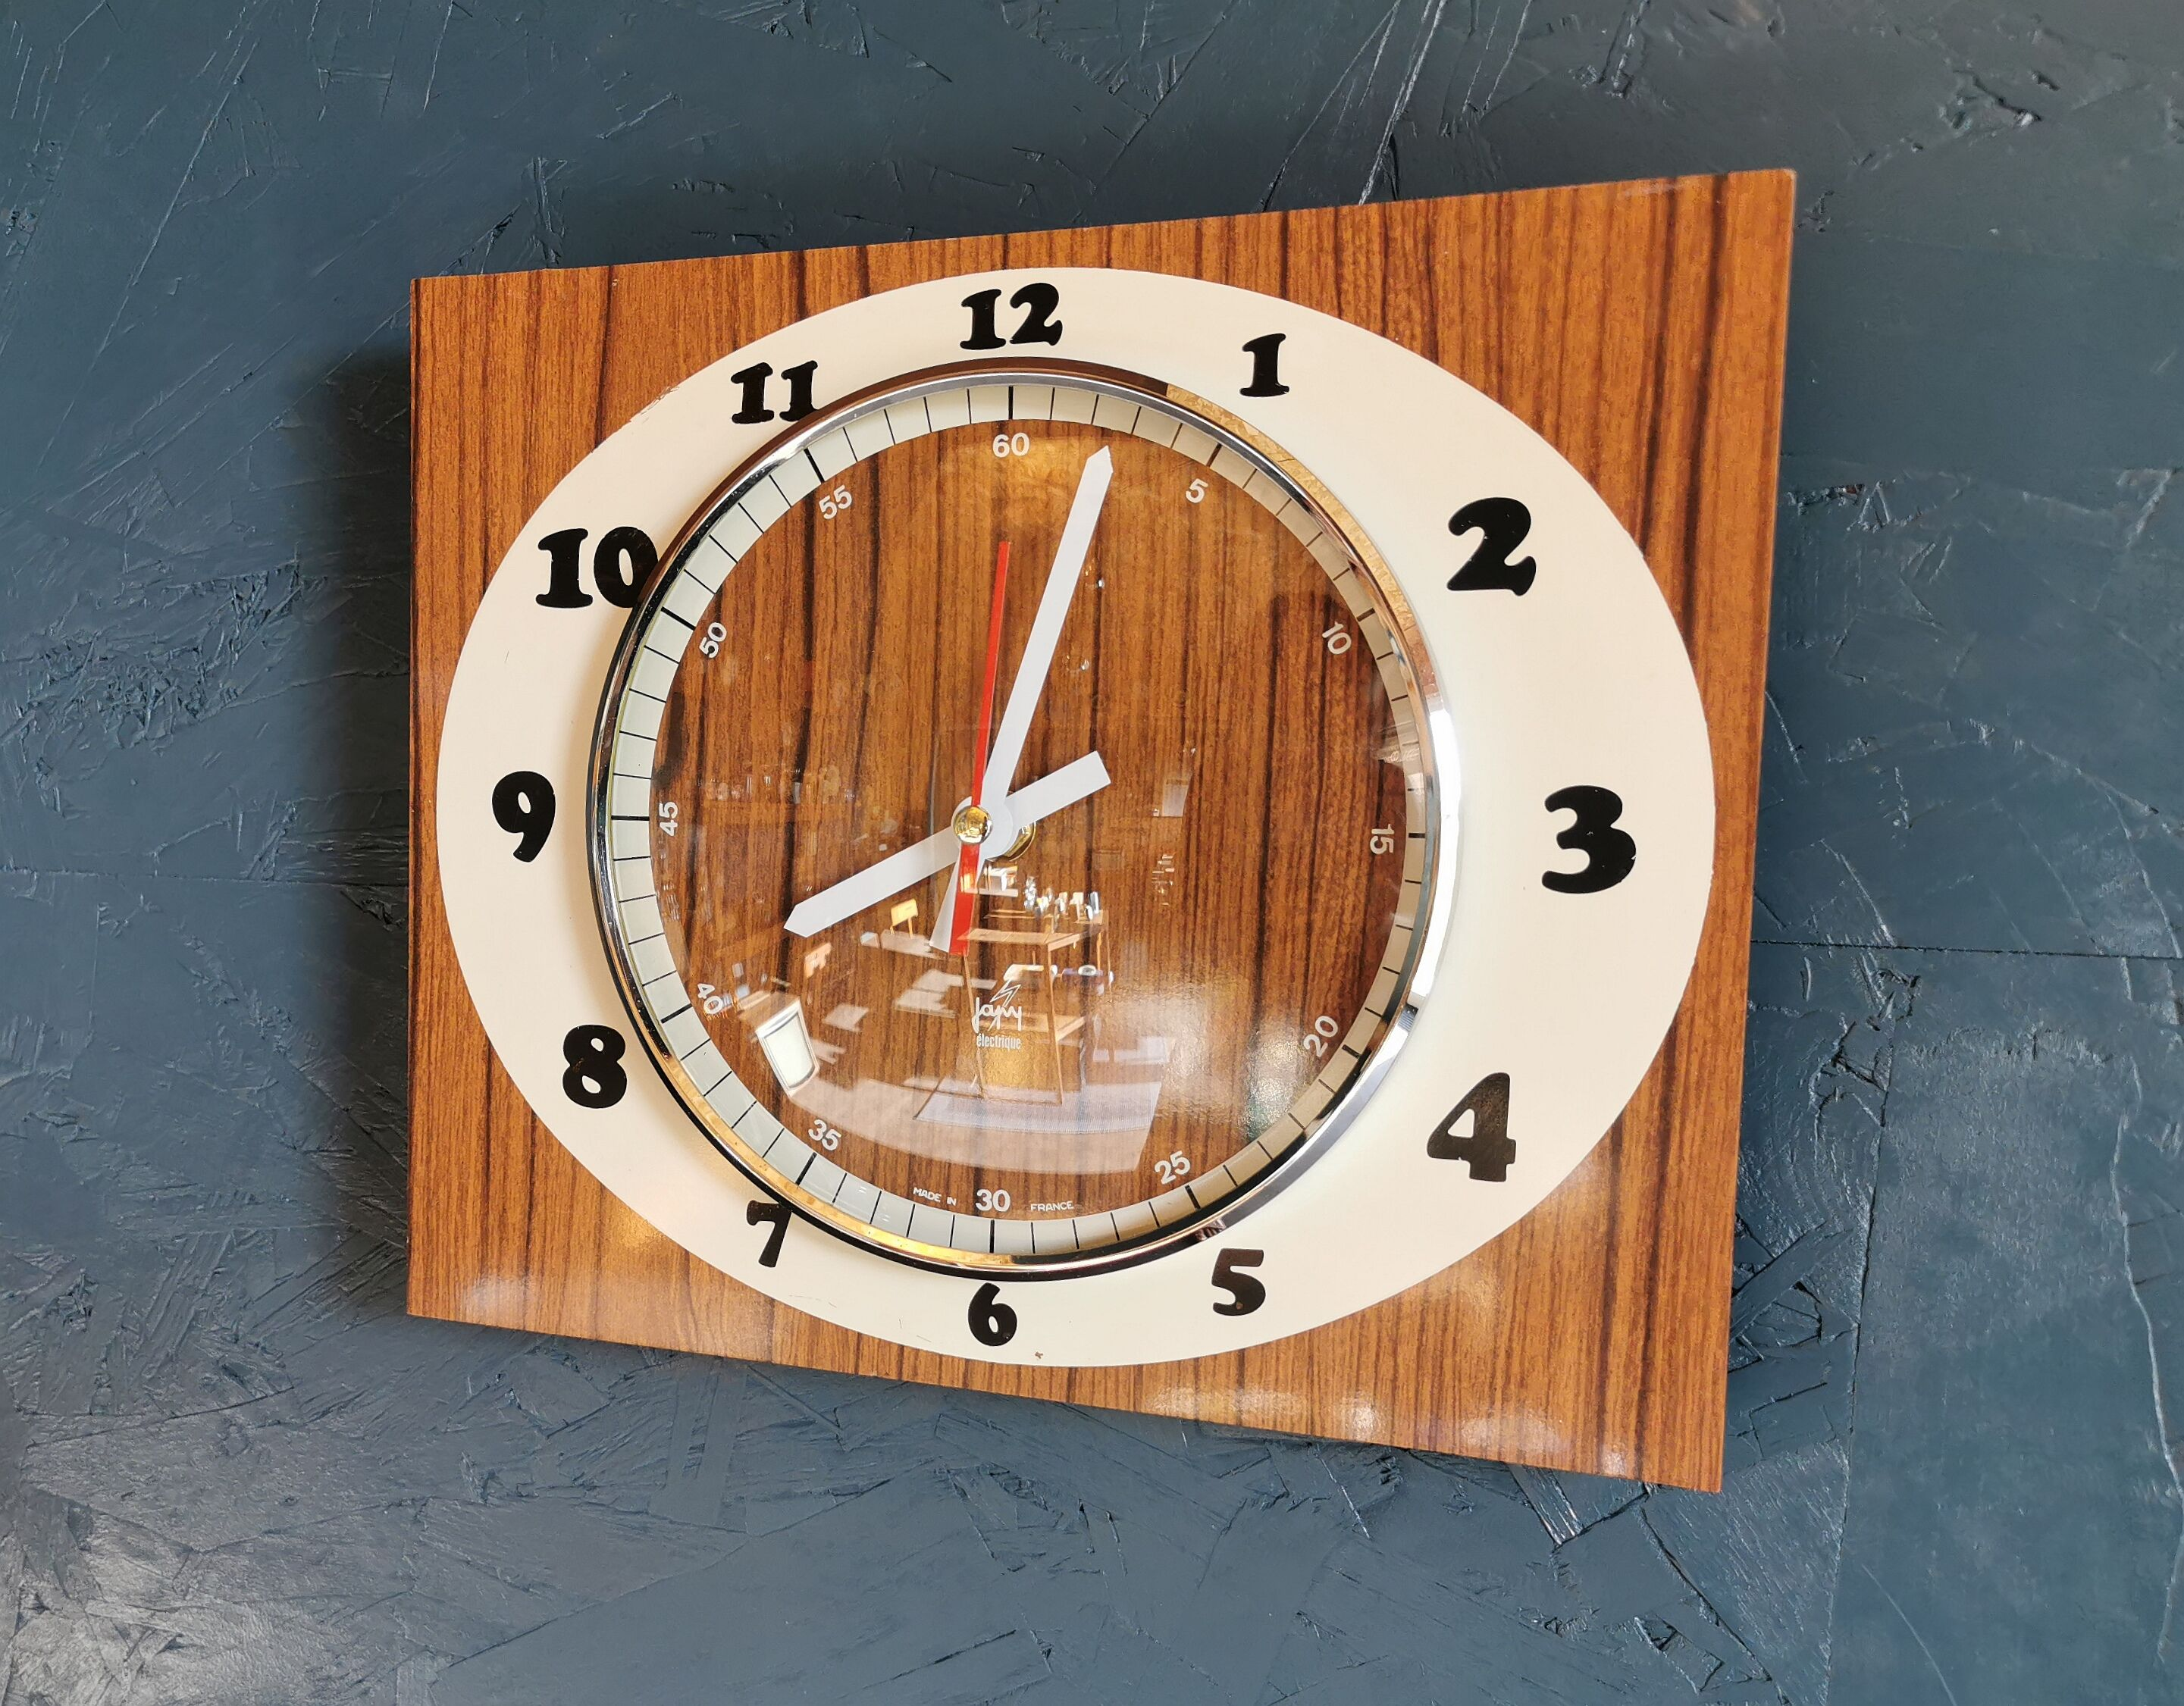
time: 8:02
